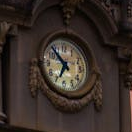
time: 6:52
